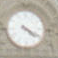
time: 4:19
